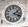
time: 2:18
